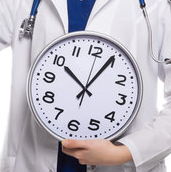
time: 10:04
